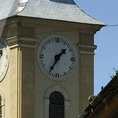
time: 1:35
